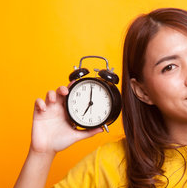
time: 7:00
